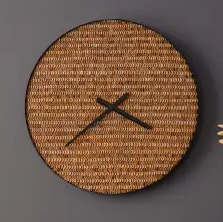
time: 3:37
